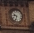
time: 9:33
